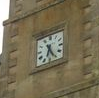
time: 6:25
